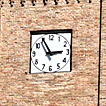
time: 2:54
